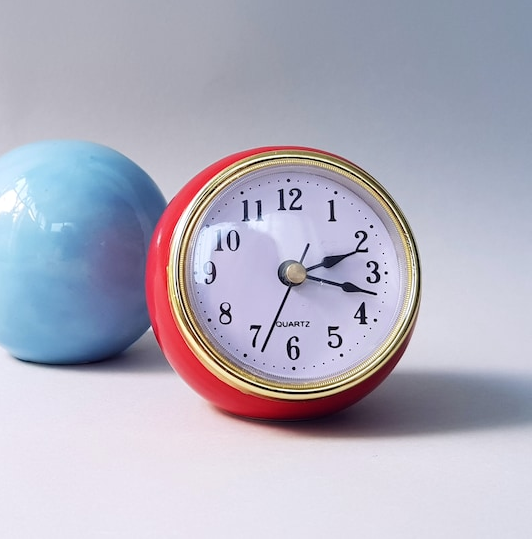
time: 2:17
